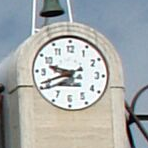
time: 9:41
